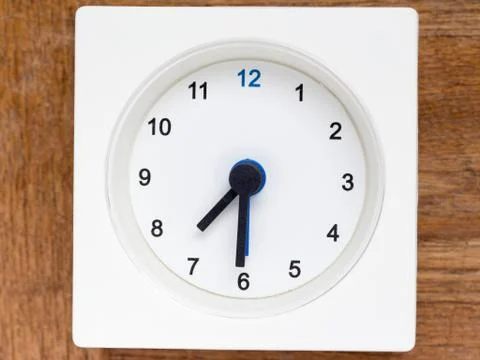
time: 7:30
